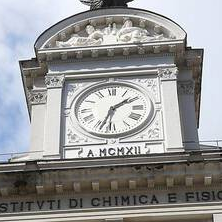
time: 1:33
